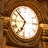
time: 6:52
